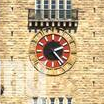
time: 2:23
